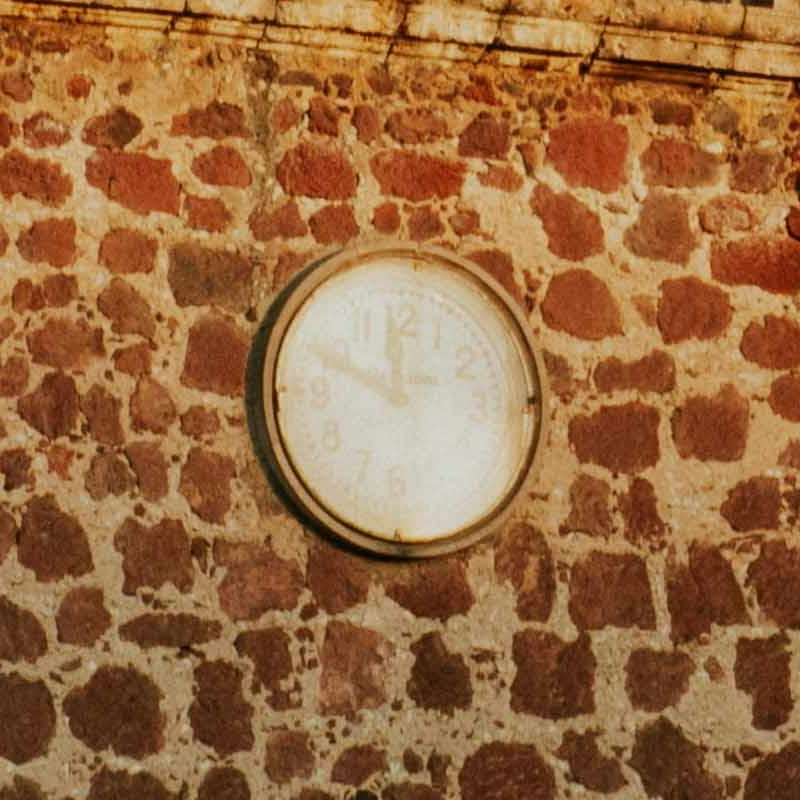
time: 11:48
